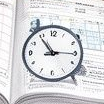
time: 2:54
